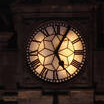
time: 5:04
